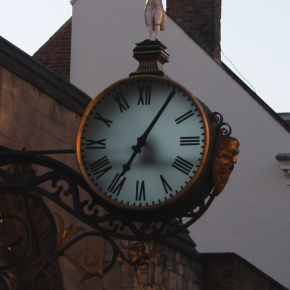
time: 7:05
